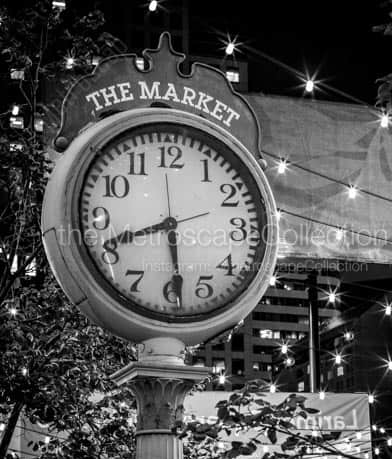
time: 5:41
